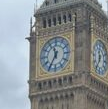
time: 11:35
